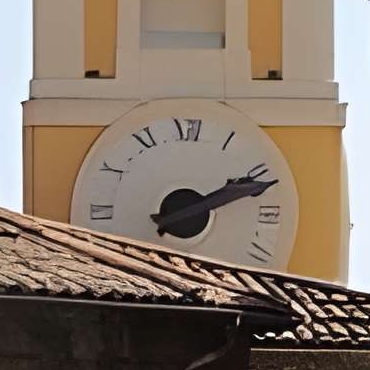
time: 2:11
